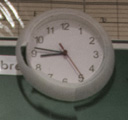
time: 8:46
